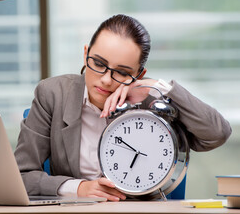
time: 6:50
